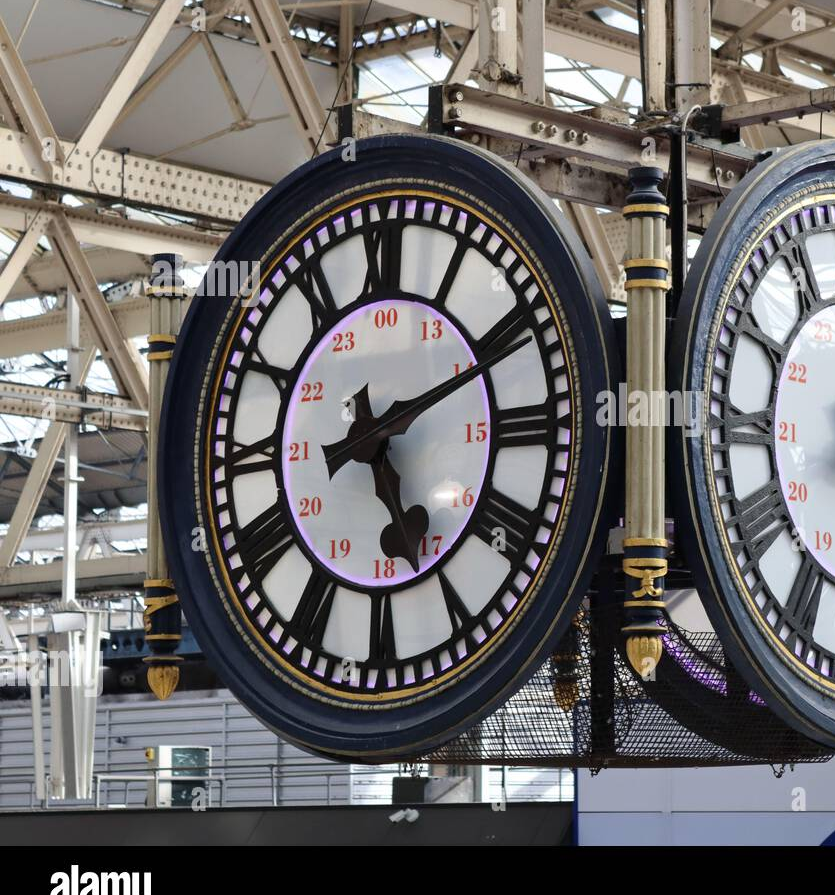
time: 5:11
